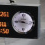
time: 9:01
